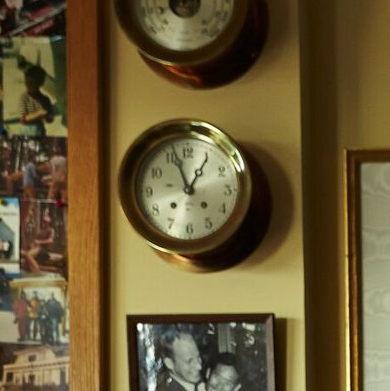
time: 12:57
